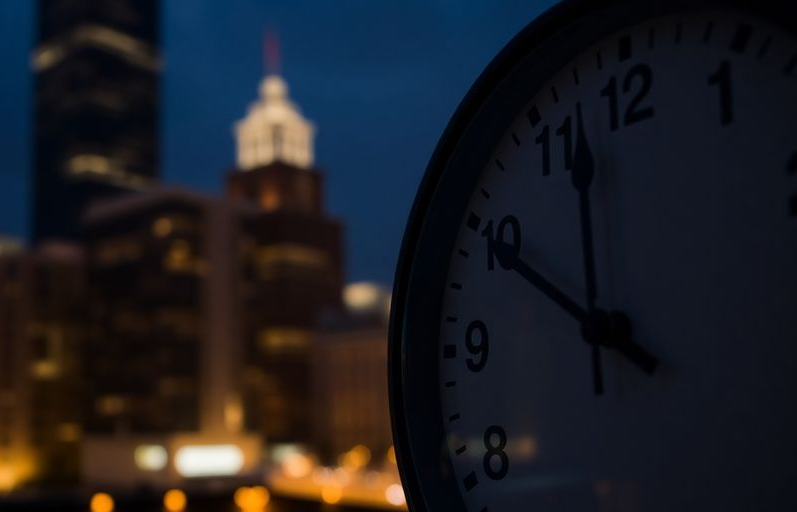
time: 9:57
